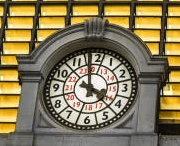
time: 3:58
